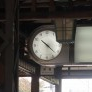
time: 10:22
